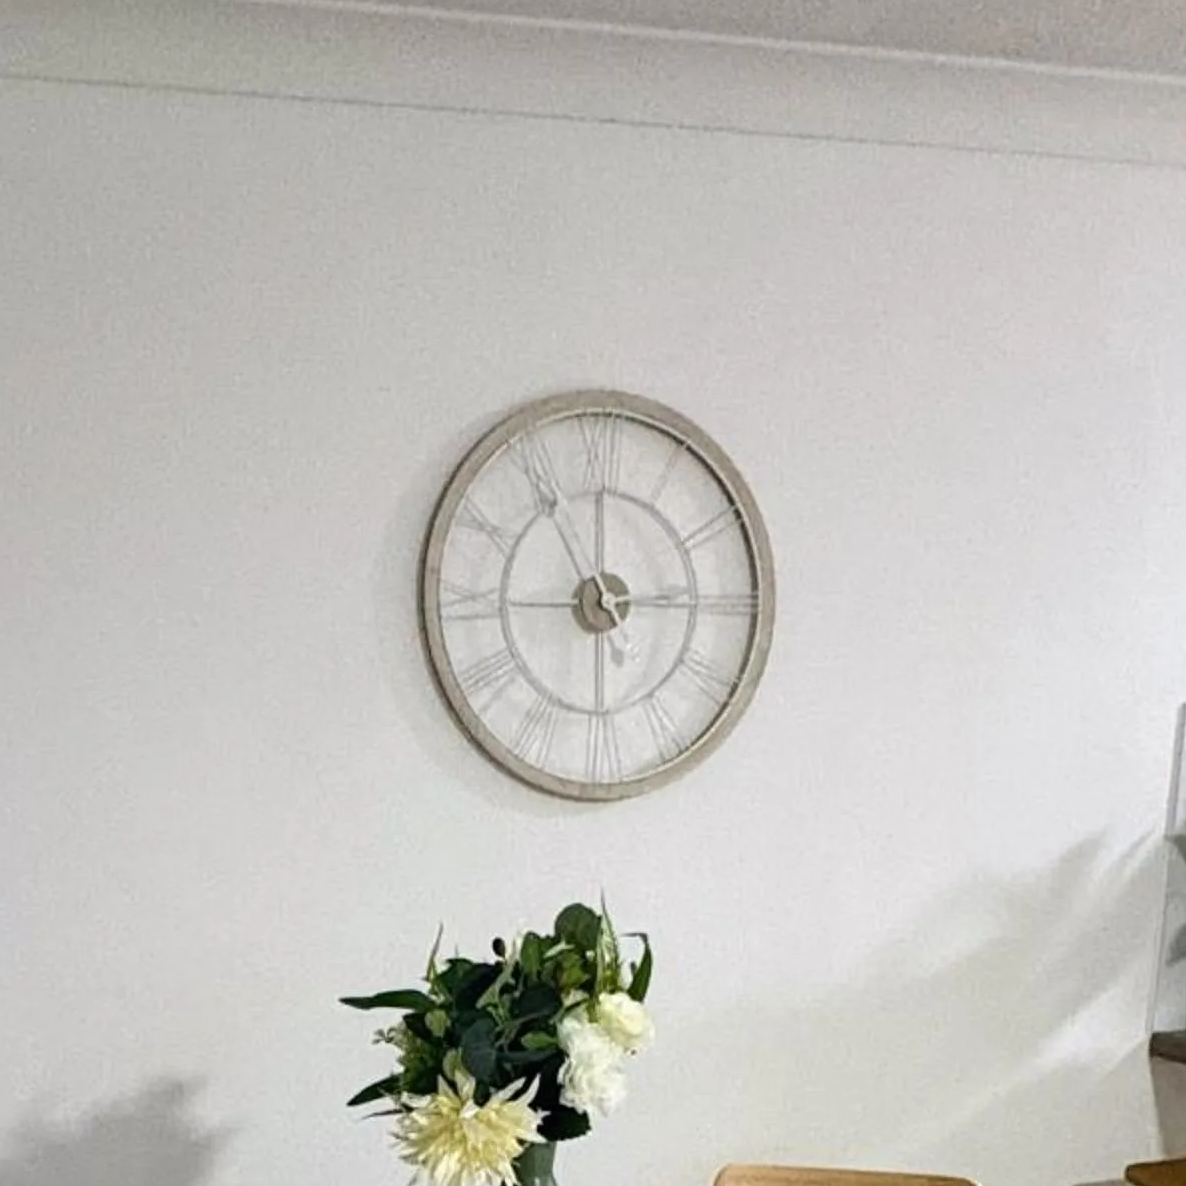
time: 2:54
